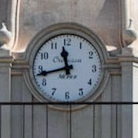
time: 11:42
